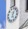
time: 12:23
